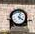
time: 4:03
